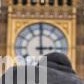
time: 2:59
